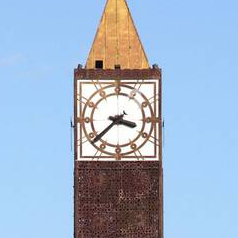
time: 3:38
